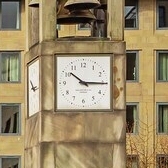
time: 10:15
